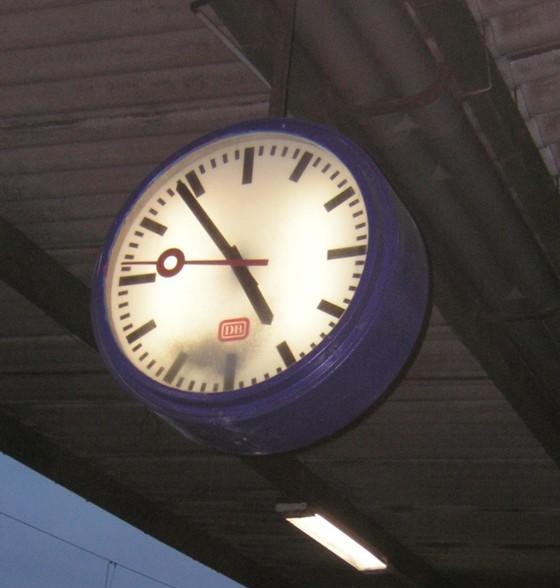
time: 4:53
